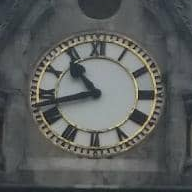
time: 10:42
